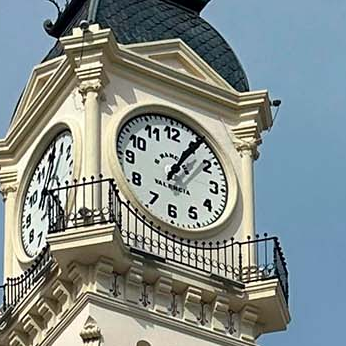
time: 1:05
